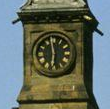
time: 5:58
